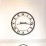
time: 3:16
